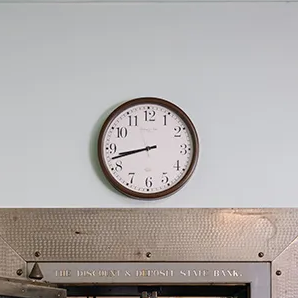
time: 8:42
